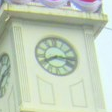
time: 8:16
